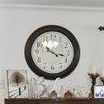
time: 10:17
